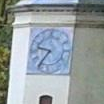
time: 9:36
